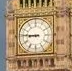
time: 8:45
